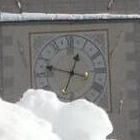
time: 12:47
